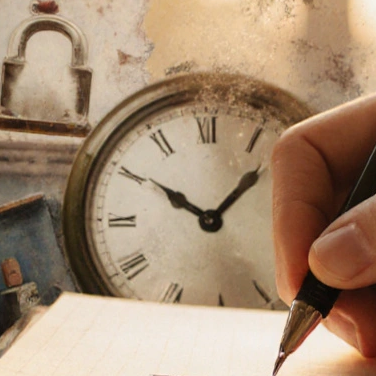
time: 10:07
